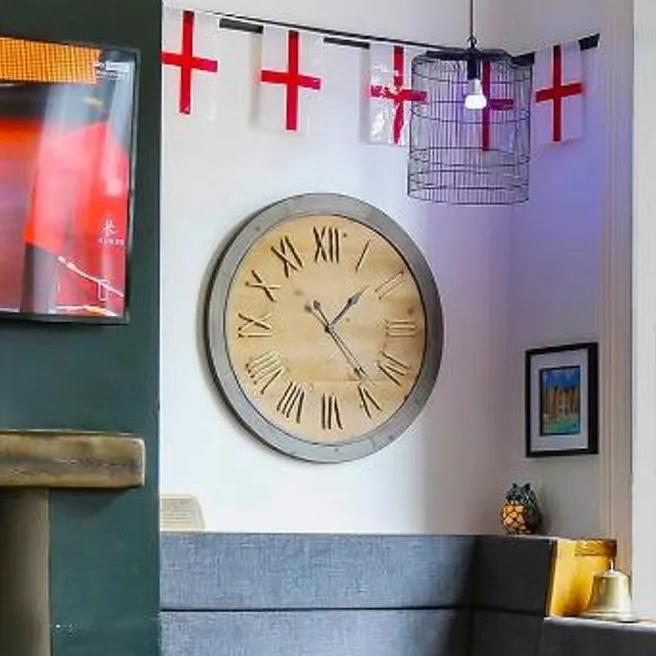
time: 1:23
